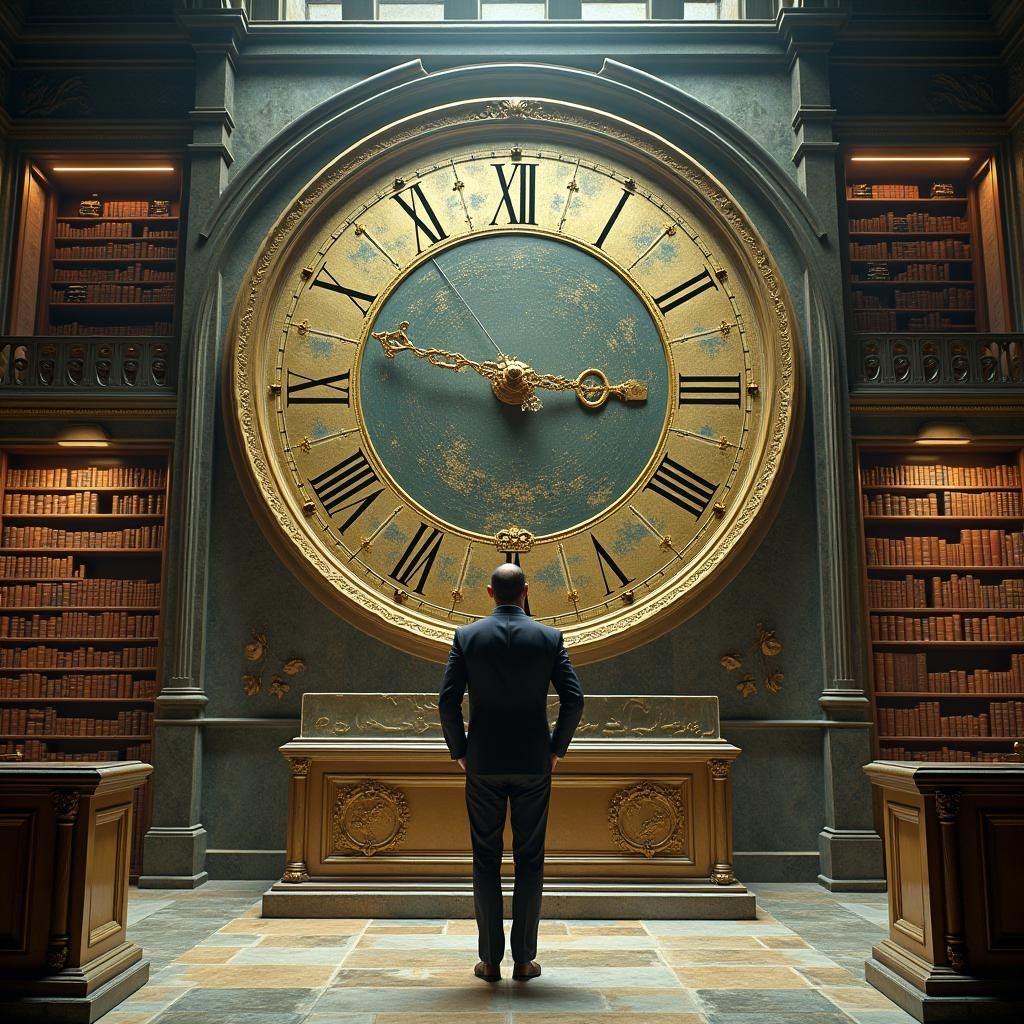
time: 2:48
